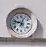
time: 12:47
